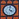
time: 4:02
